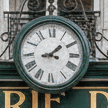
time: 1:43
